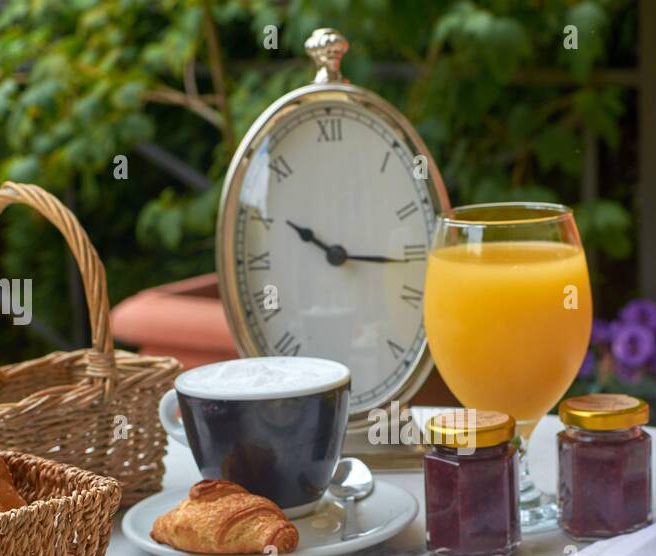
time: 9:14
